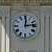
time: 12:13
